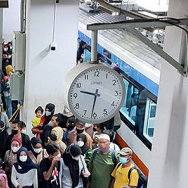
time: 9:31
